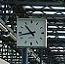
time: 10:42
